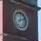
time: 8:11
